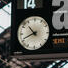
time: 10:41
